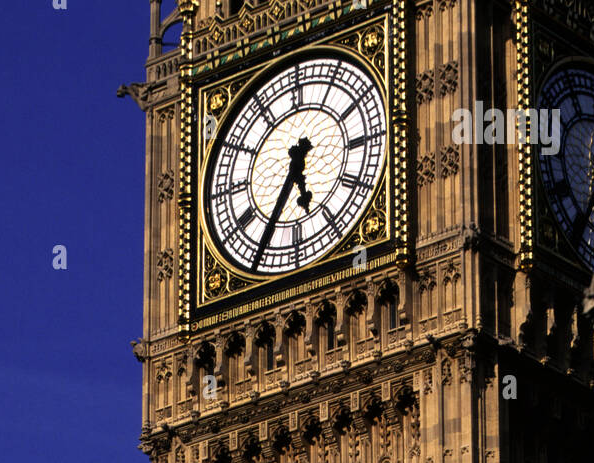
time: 5:35
